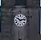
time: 10:13
